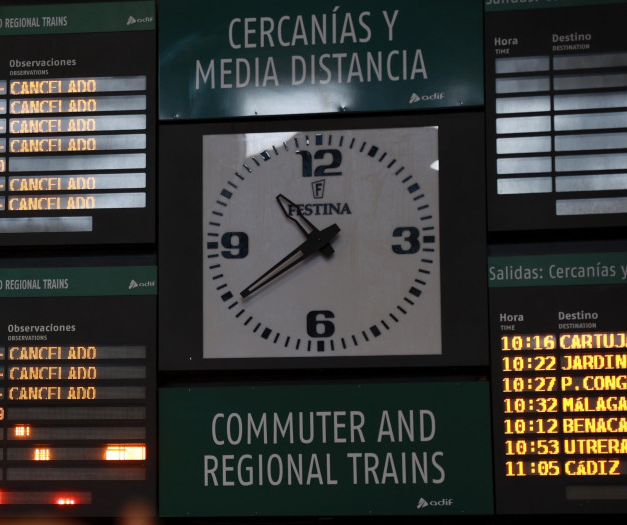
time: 10:39
